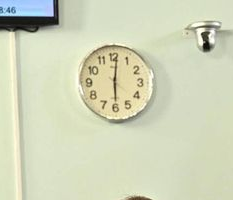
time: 6:01
